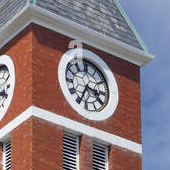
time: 3:34
